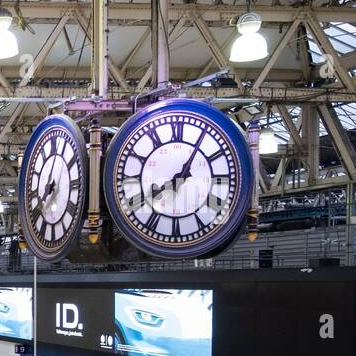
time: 8:05
